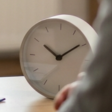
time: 10:09
